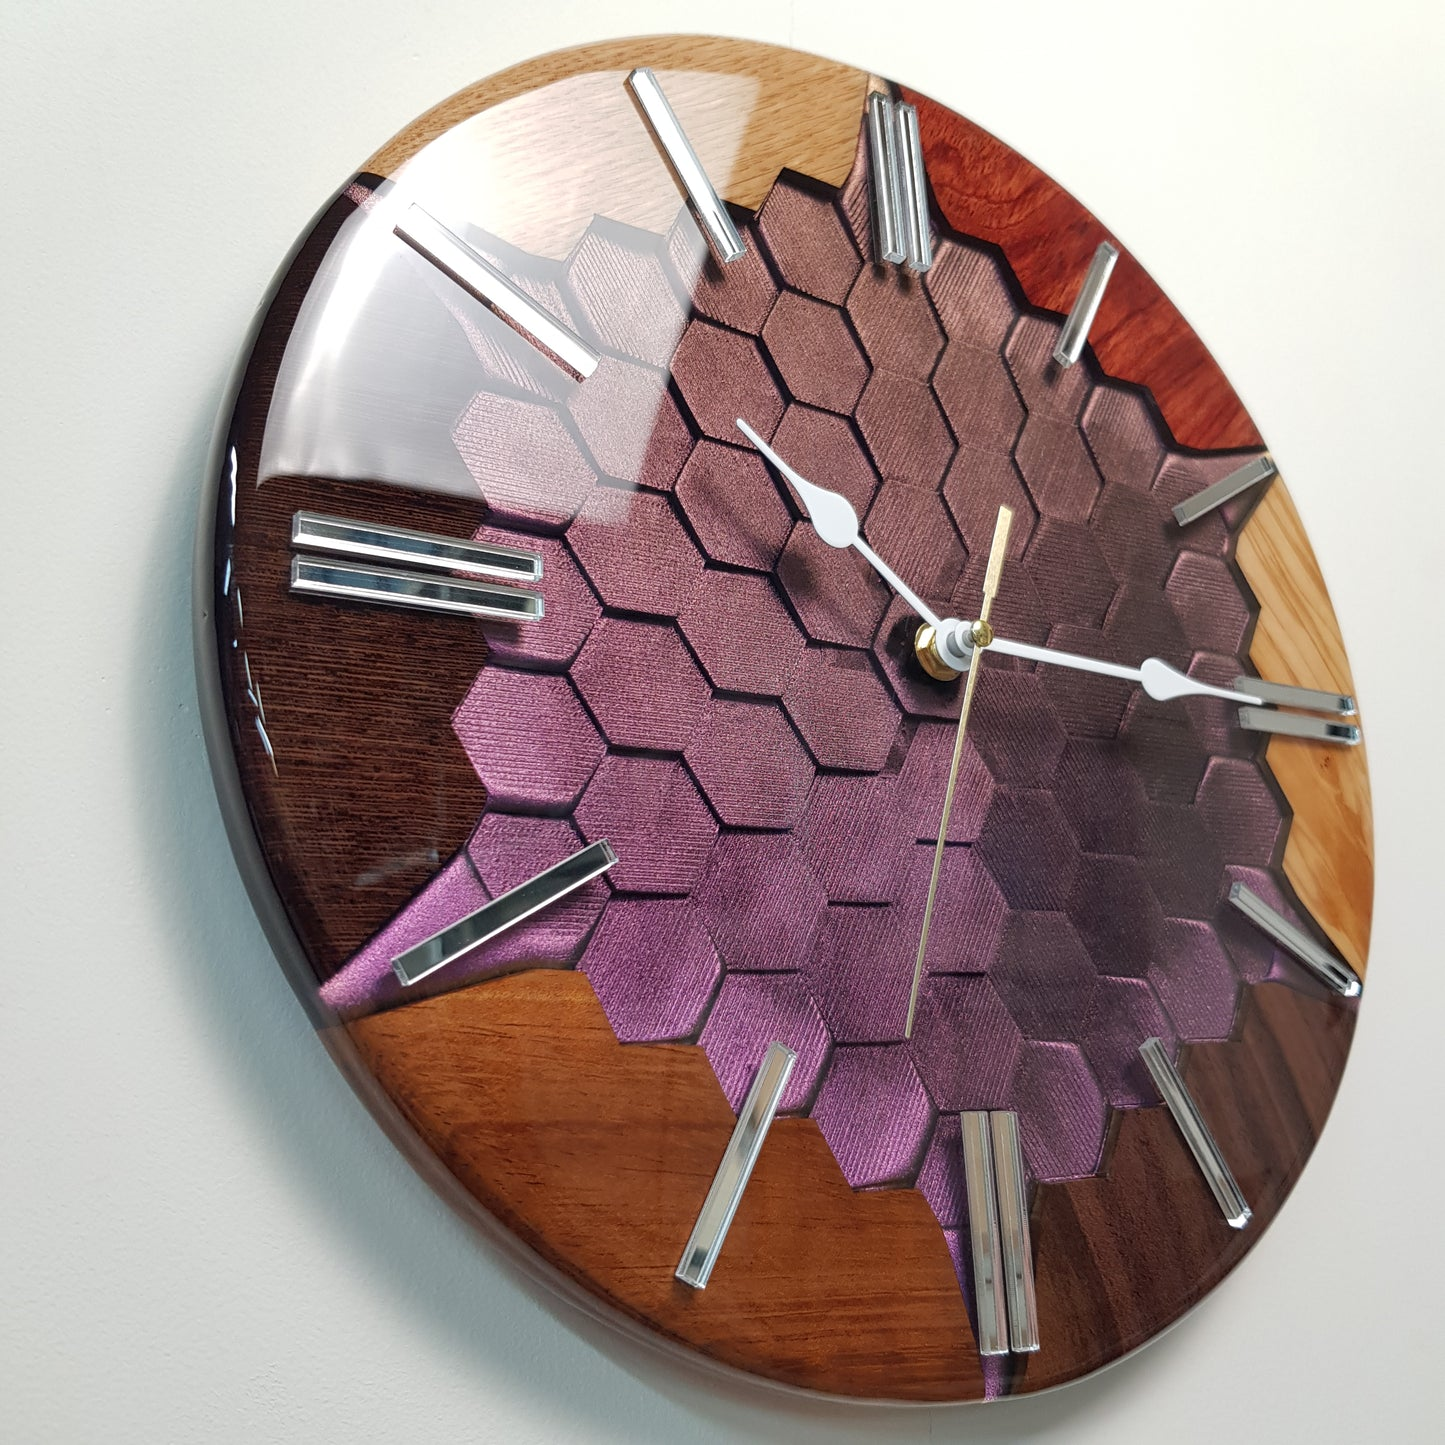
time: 10:14
